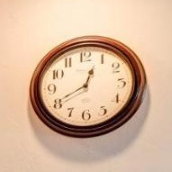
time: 12:40
